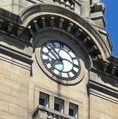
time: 7:52
